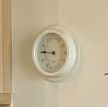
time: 8:45
